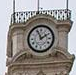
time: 1:56
